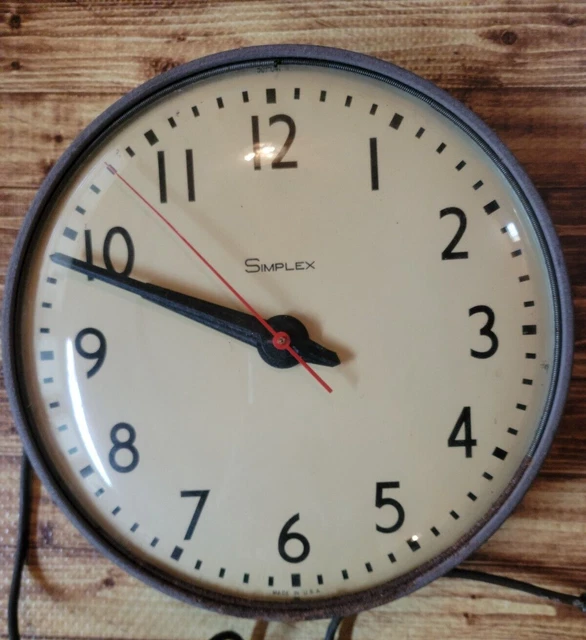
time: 9:48
